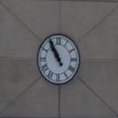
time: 10:55
